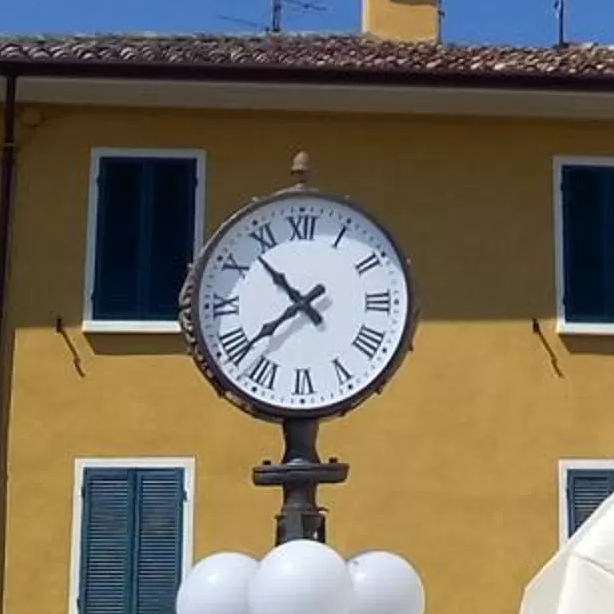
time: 10:38
